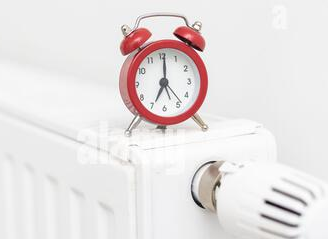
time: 7:00
